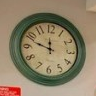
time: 11:48
